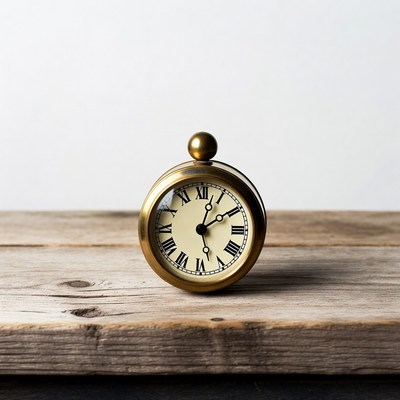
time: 2:02
